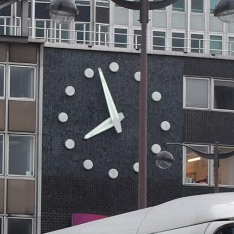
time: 7:57
